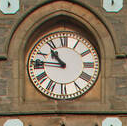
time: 10:45
